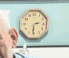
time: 2:30
